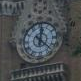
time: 12:22
